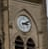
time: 3:11
